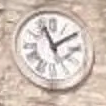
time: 11:09
